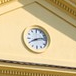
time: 8:12
